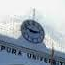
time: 2:48
